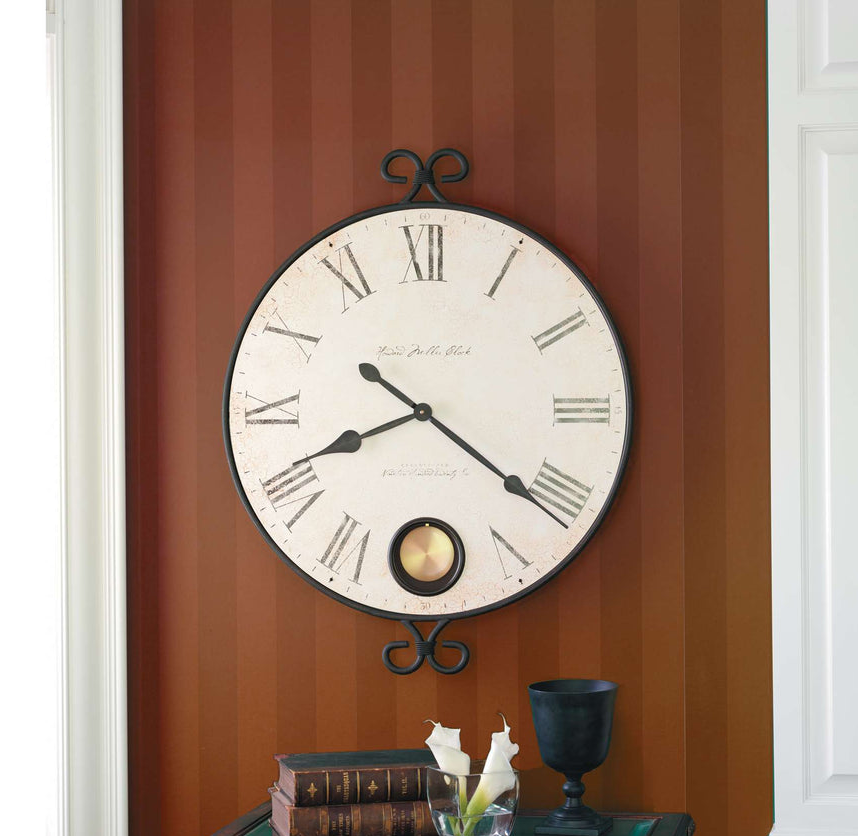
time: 8:21
